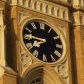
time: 7:46
